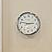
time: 2:46
